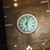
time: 6:03
